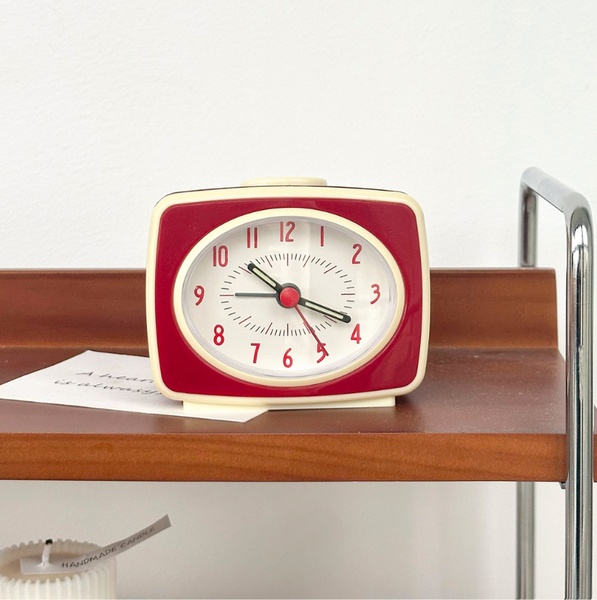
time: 10:18
